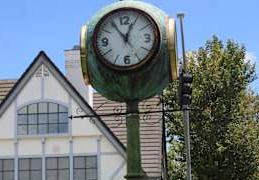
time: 12:53
